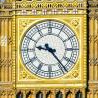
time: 9:23
